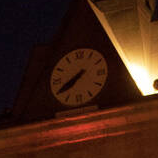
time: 7:40
